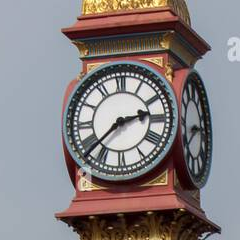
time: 2:37
